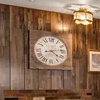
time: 4:13
